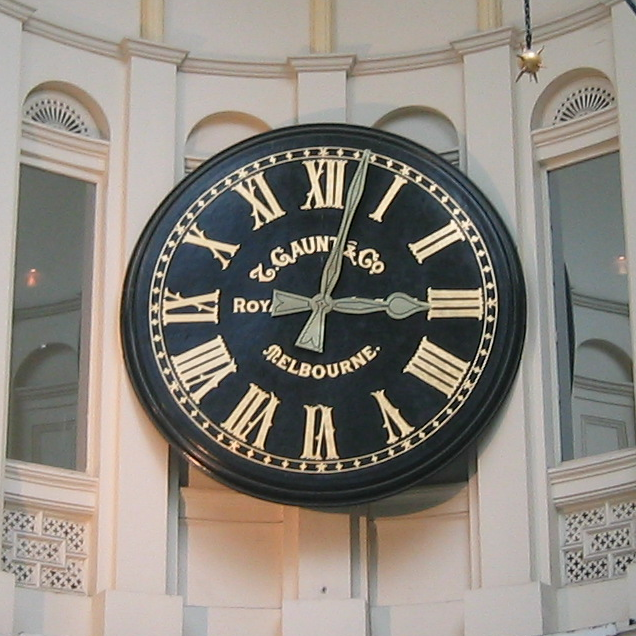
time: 3:02
